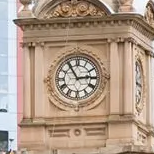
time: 2:54
